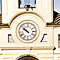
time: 9:51
